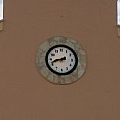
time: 8:42
